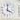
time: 4:01
